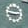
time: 2:46
